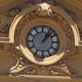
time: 1:07
